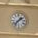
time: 1:36
